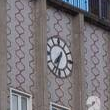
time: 7:33
